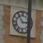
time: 2:54
